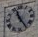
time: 11:24
